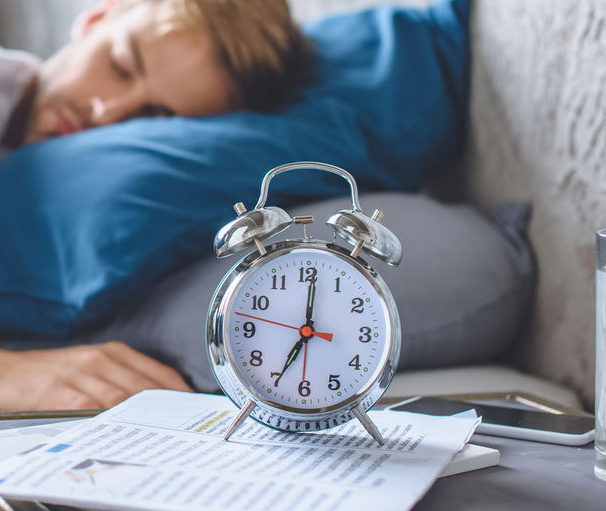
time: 7:00
